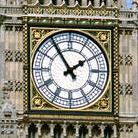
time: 1:54
